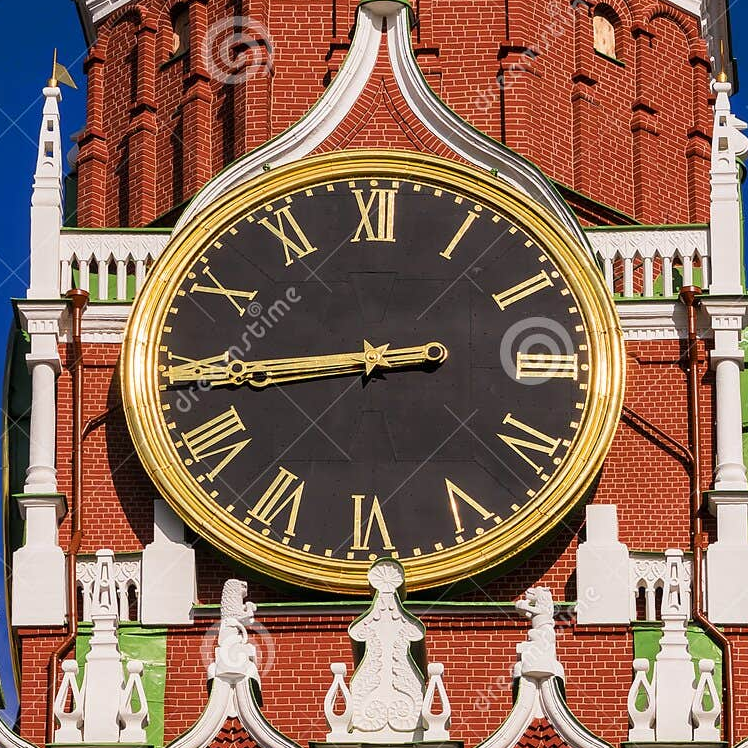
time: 2:44
